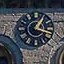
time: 1:18
